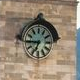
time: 6:44
